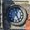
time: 12:24
